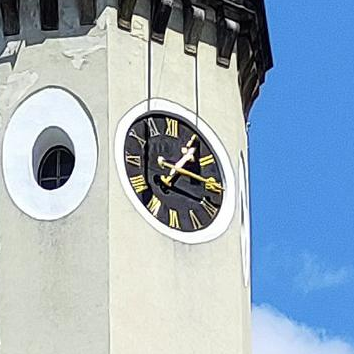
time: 1:16
